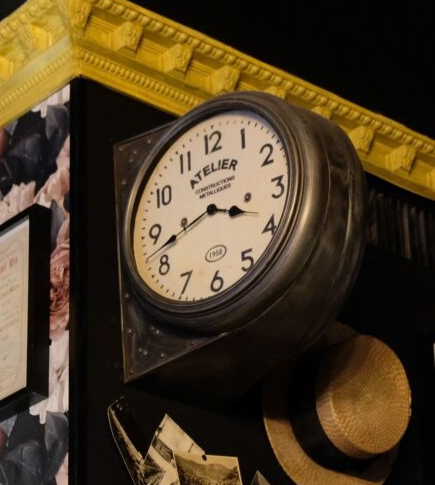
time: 3:42
